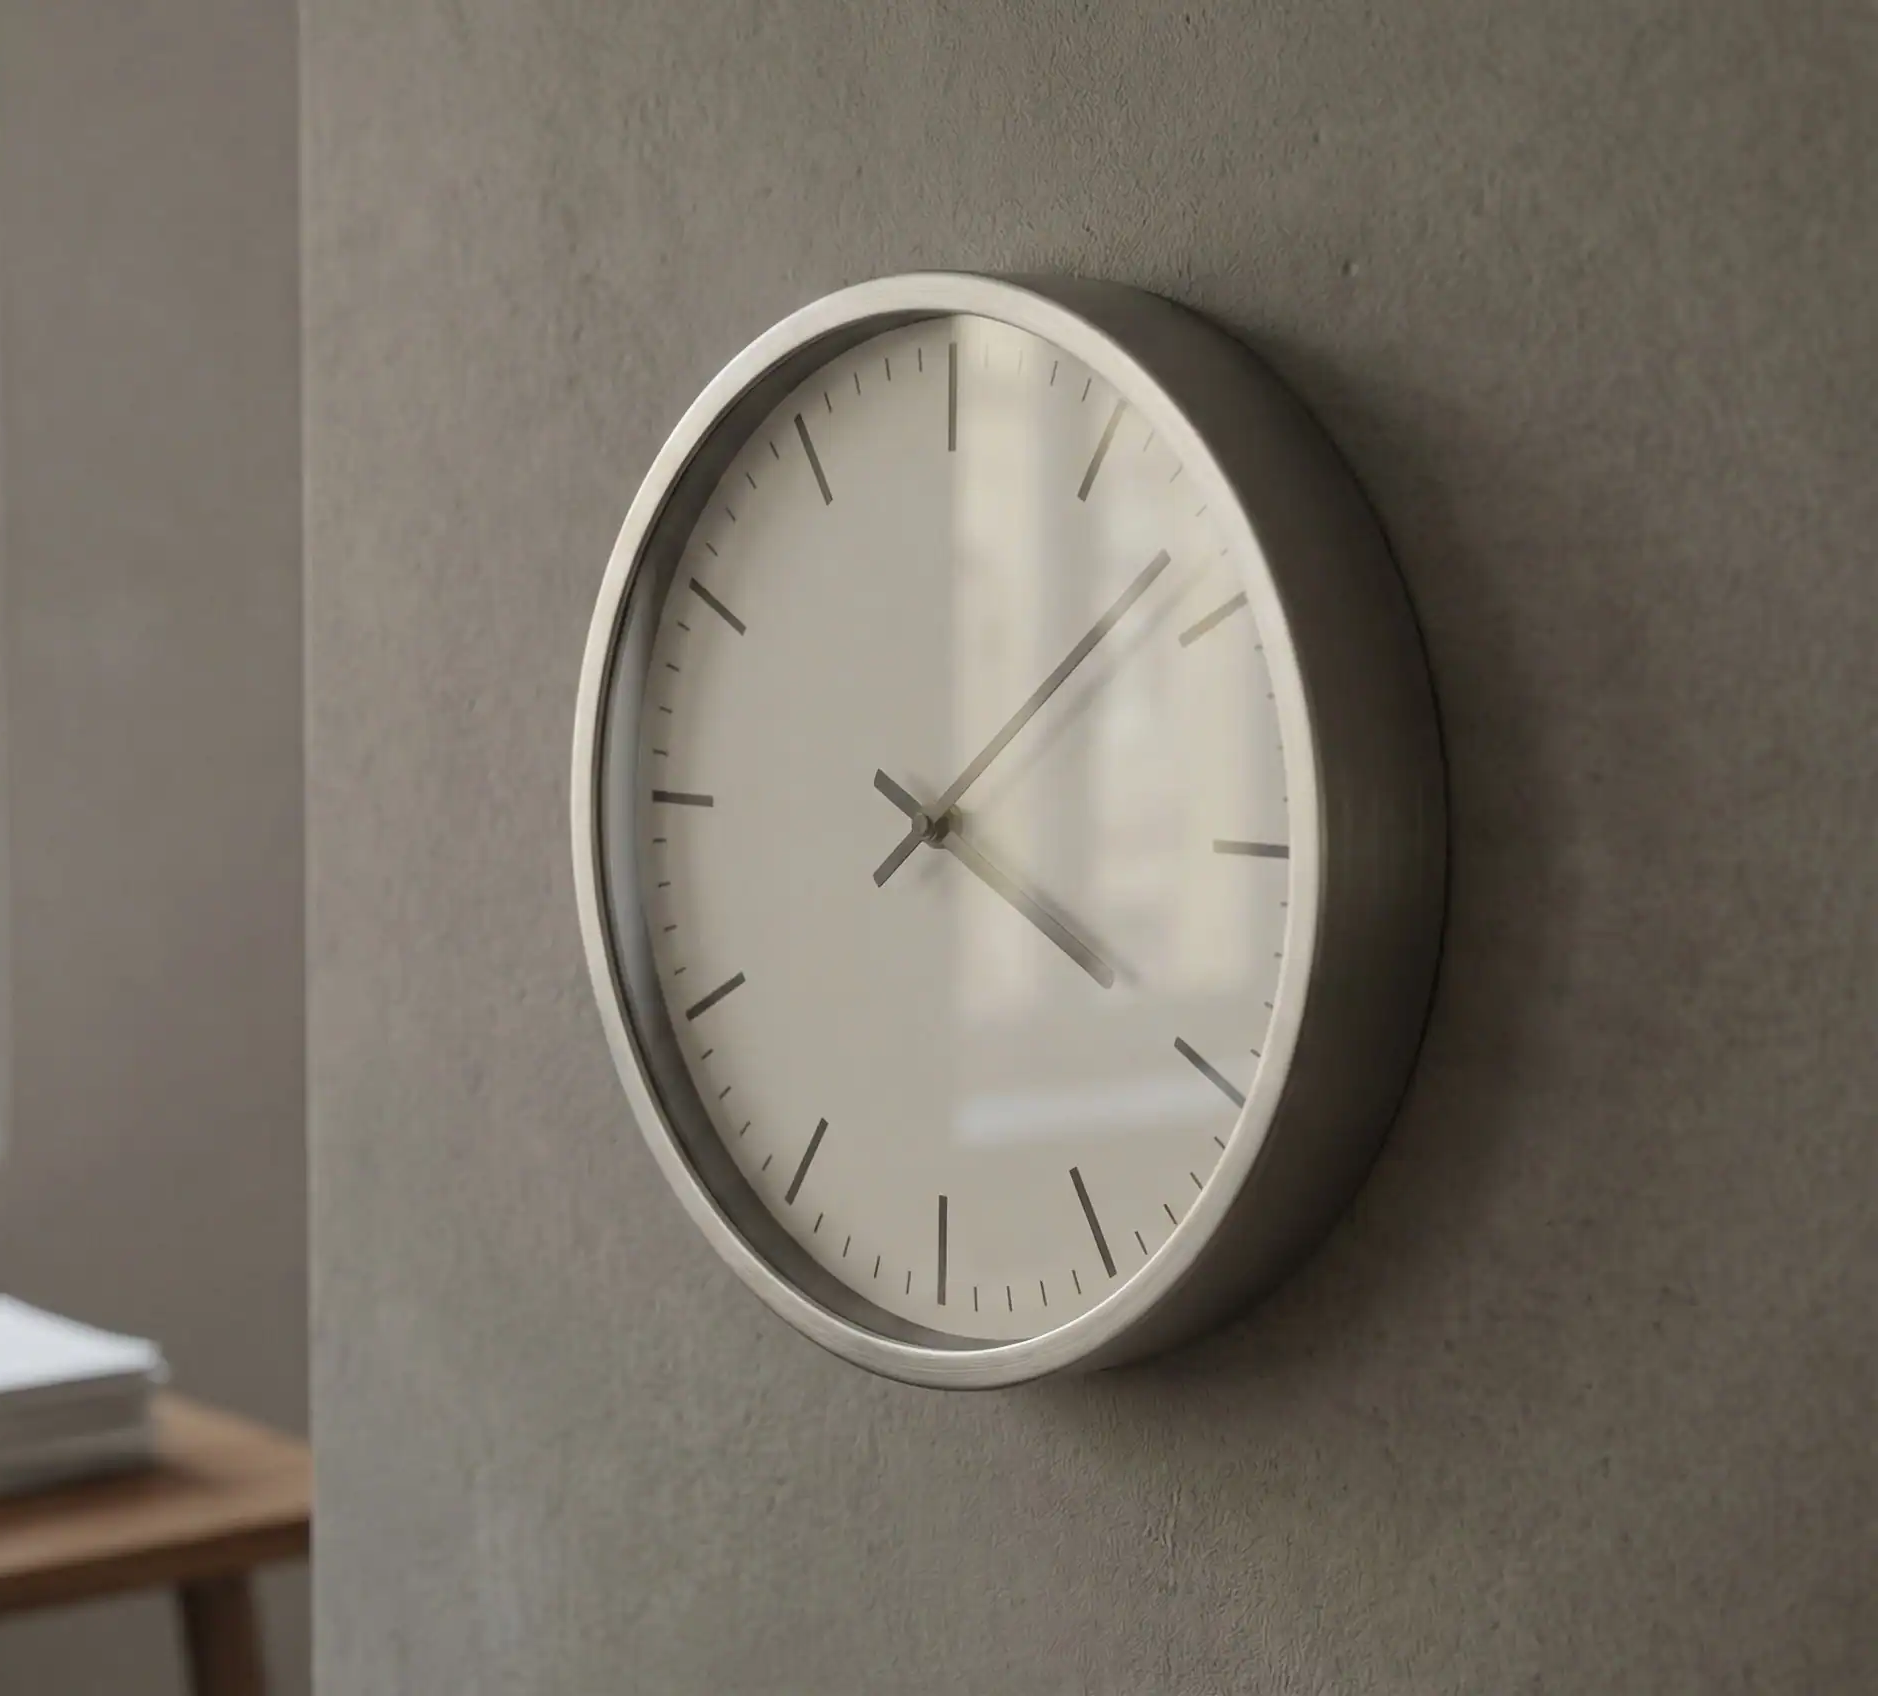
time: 4:08
